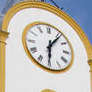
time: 6:06
